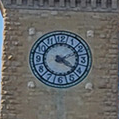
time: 4:11
